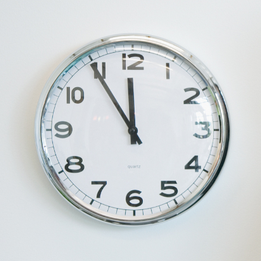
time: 11:54
